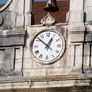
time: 12:52
